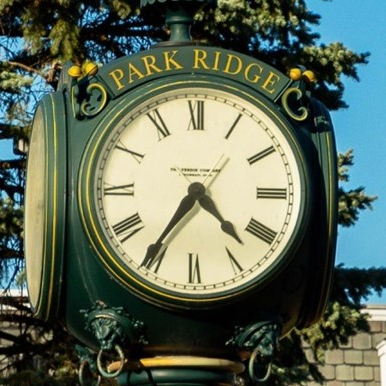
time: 4:35
